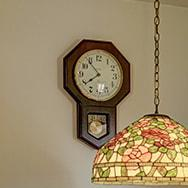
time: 7:53
